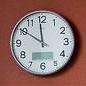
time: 11:50
